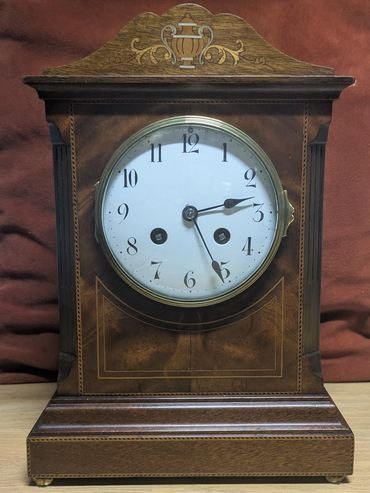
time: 2:25
